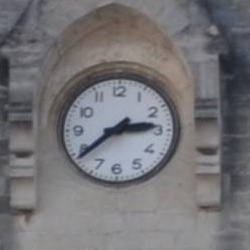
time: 2:38
